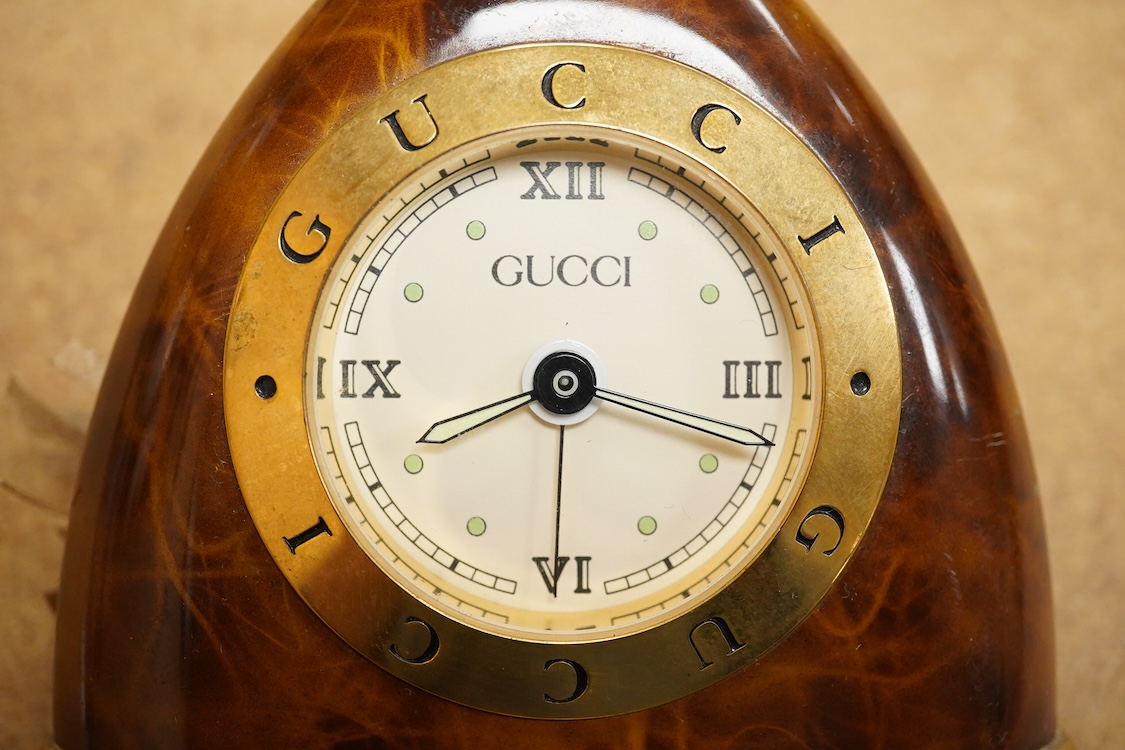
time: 8:18
